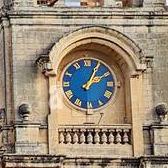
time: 2:04
